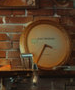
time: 3:35
